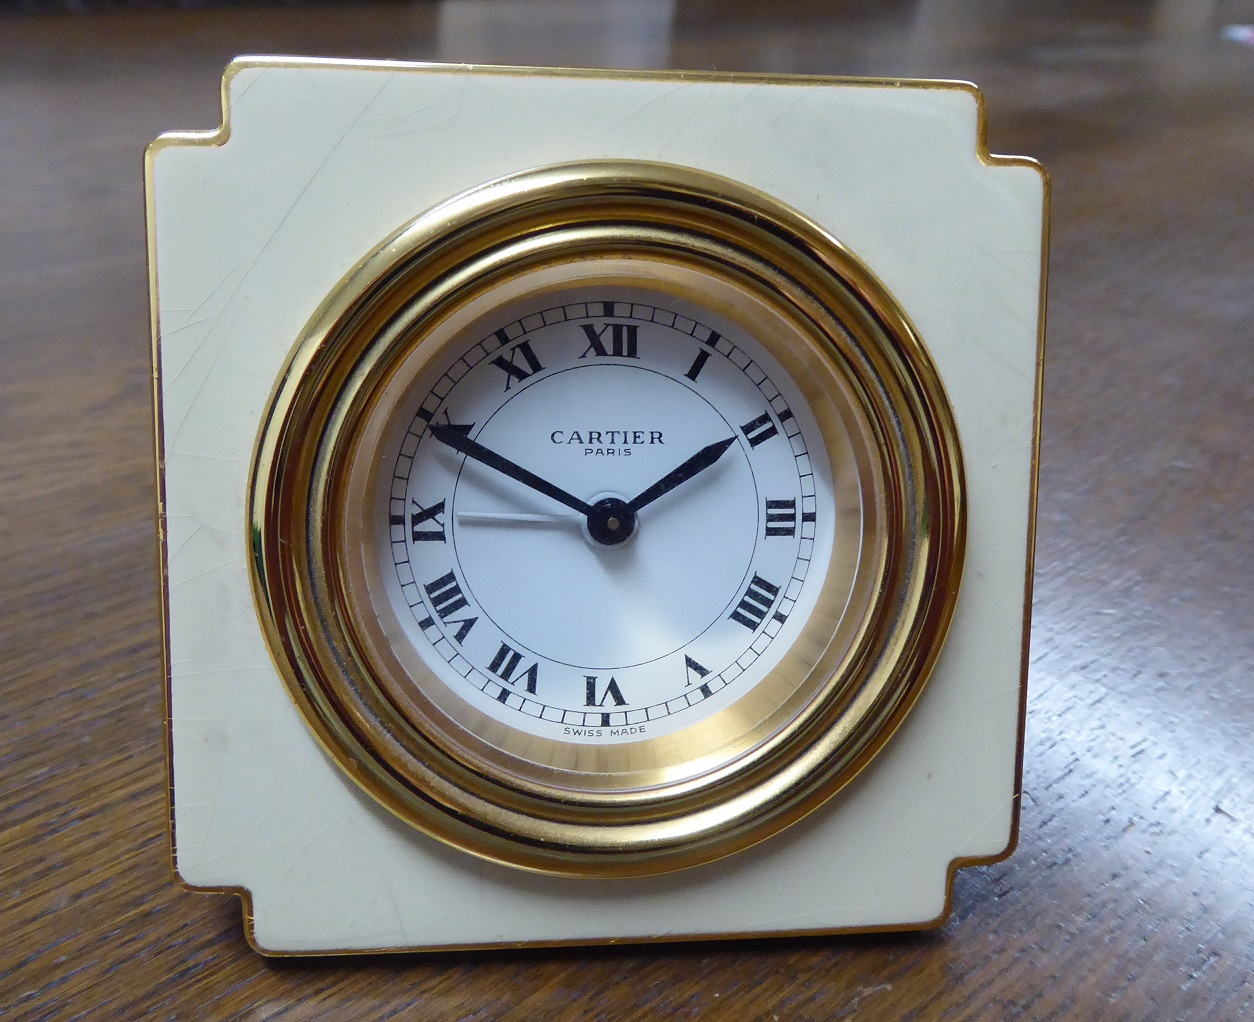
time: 1:49
